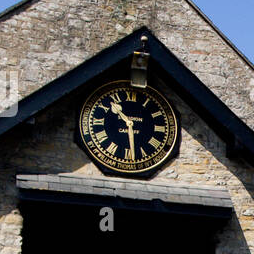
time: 10:28
